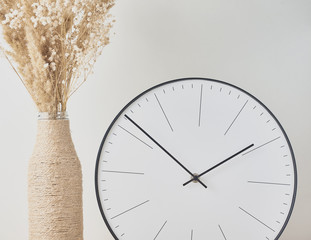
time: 1:51
